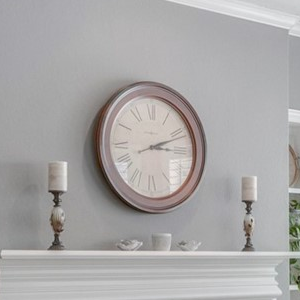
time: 3:11
